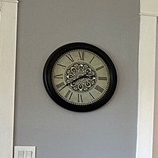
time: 2:39
